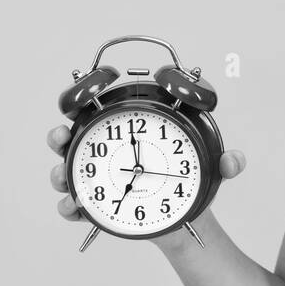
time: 6:59
